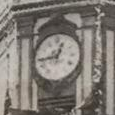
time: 12:43
